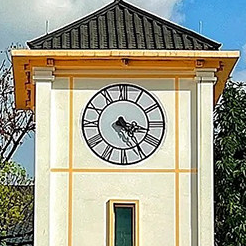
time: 3:24
